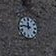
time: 11:46
